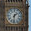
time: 1:31
